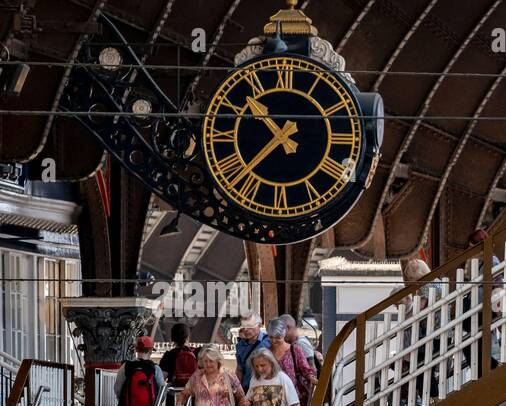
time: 10:36
